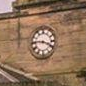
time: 3:45
